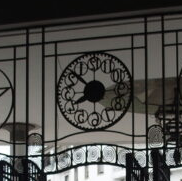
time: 8:14
